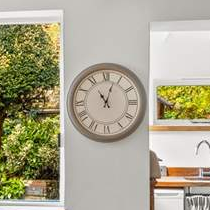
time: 11:03
